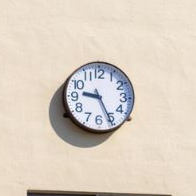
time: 9:25
